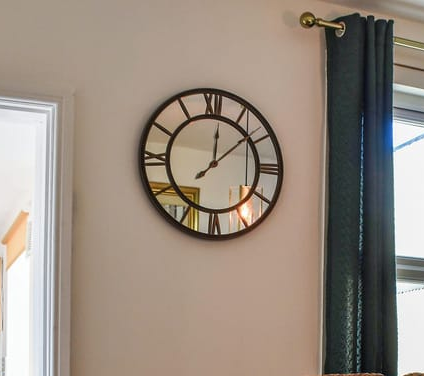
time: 12:08
